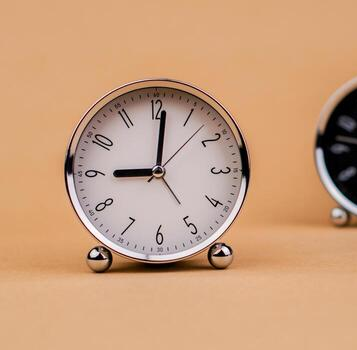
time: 9:01
